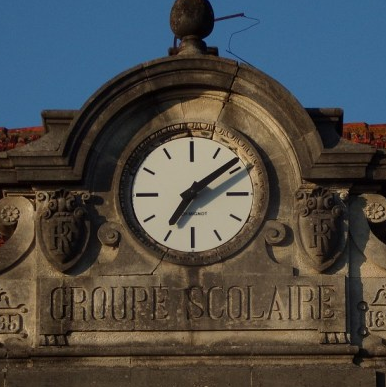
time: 7:09
